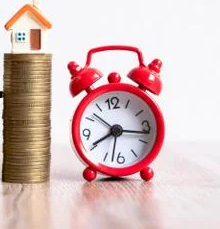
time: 8:16
